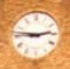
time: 2:46
